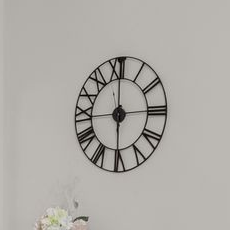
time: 6:00
